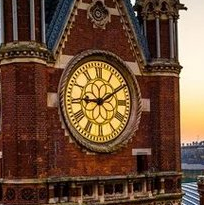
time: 9:10
